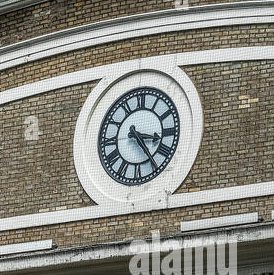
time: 3:23
